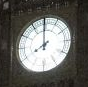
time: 7:59
